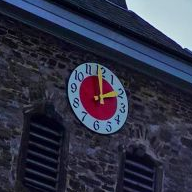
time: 1:59
